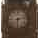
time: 6:13
